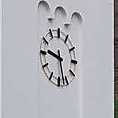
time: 9:27
